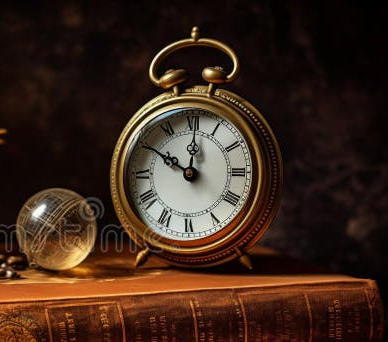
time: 10:00
